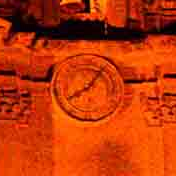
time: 8:06
